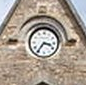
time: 3:35
